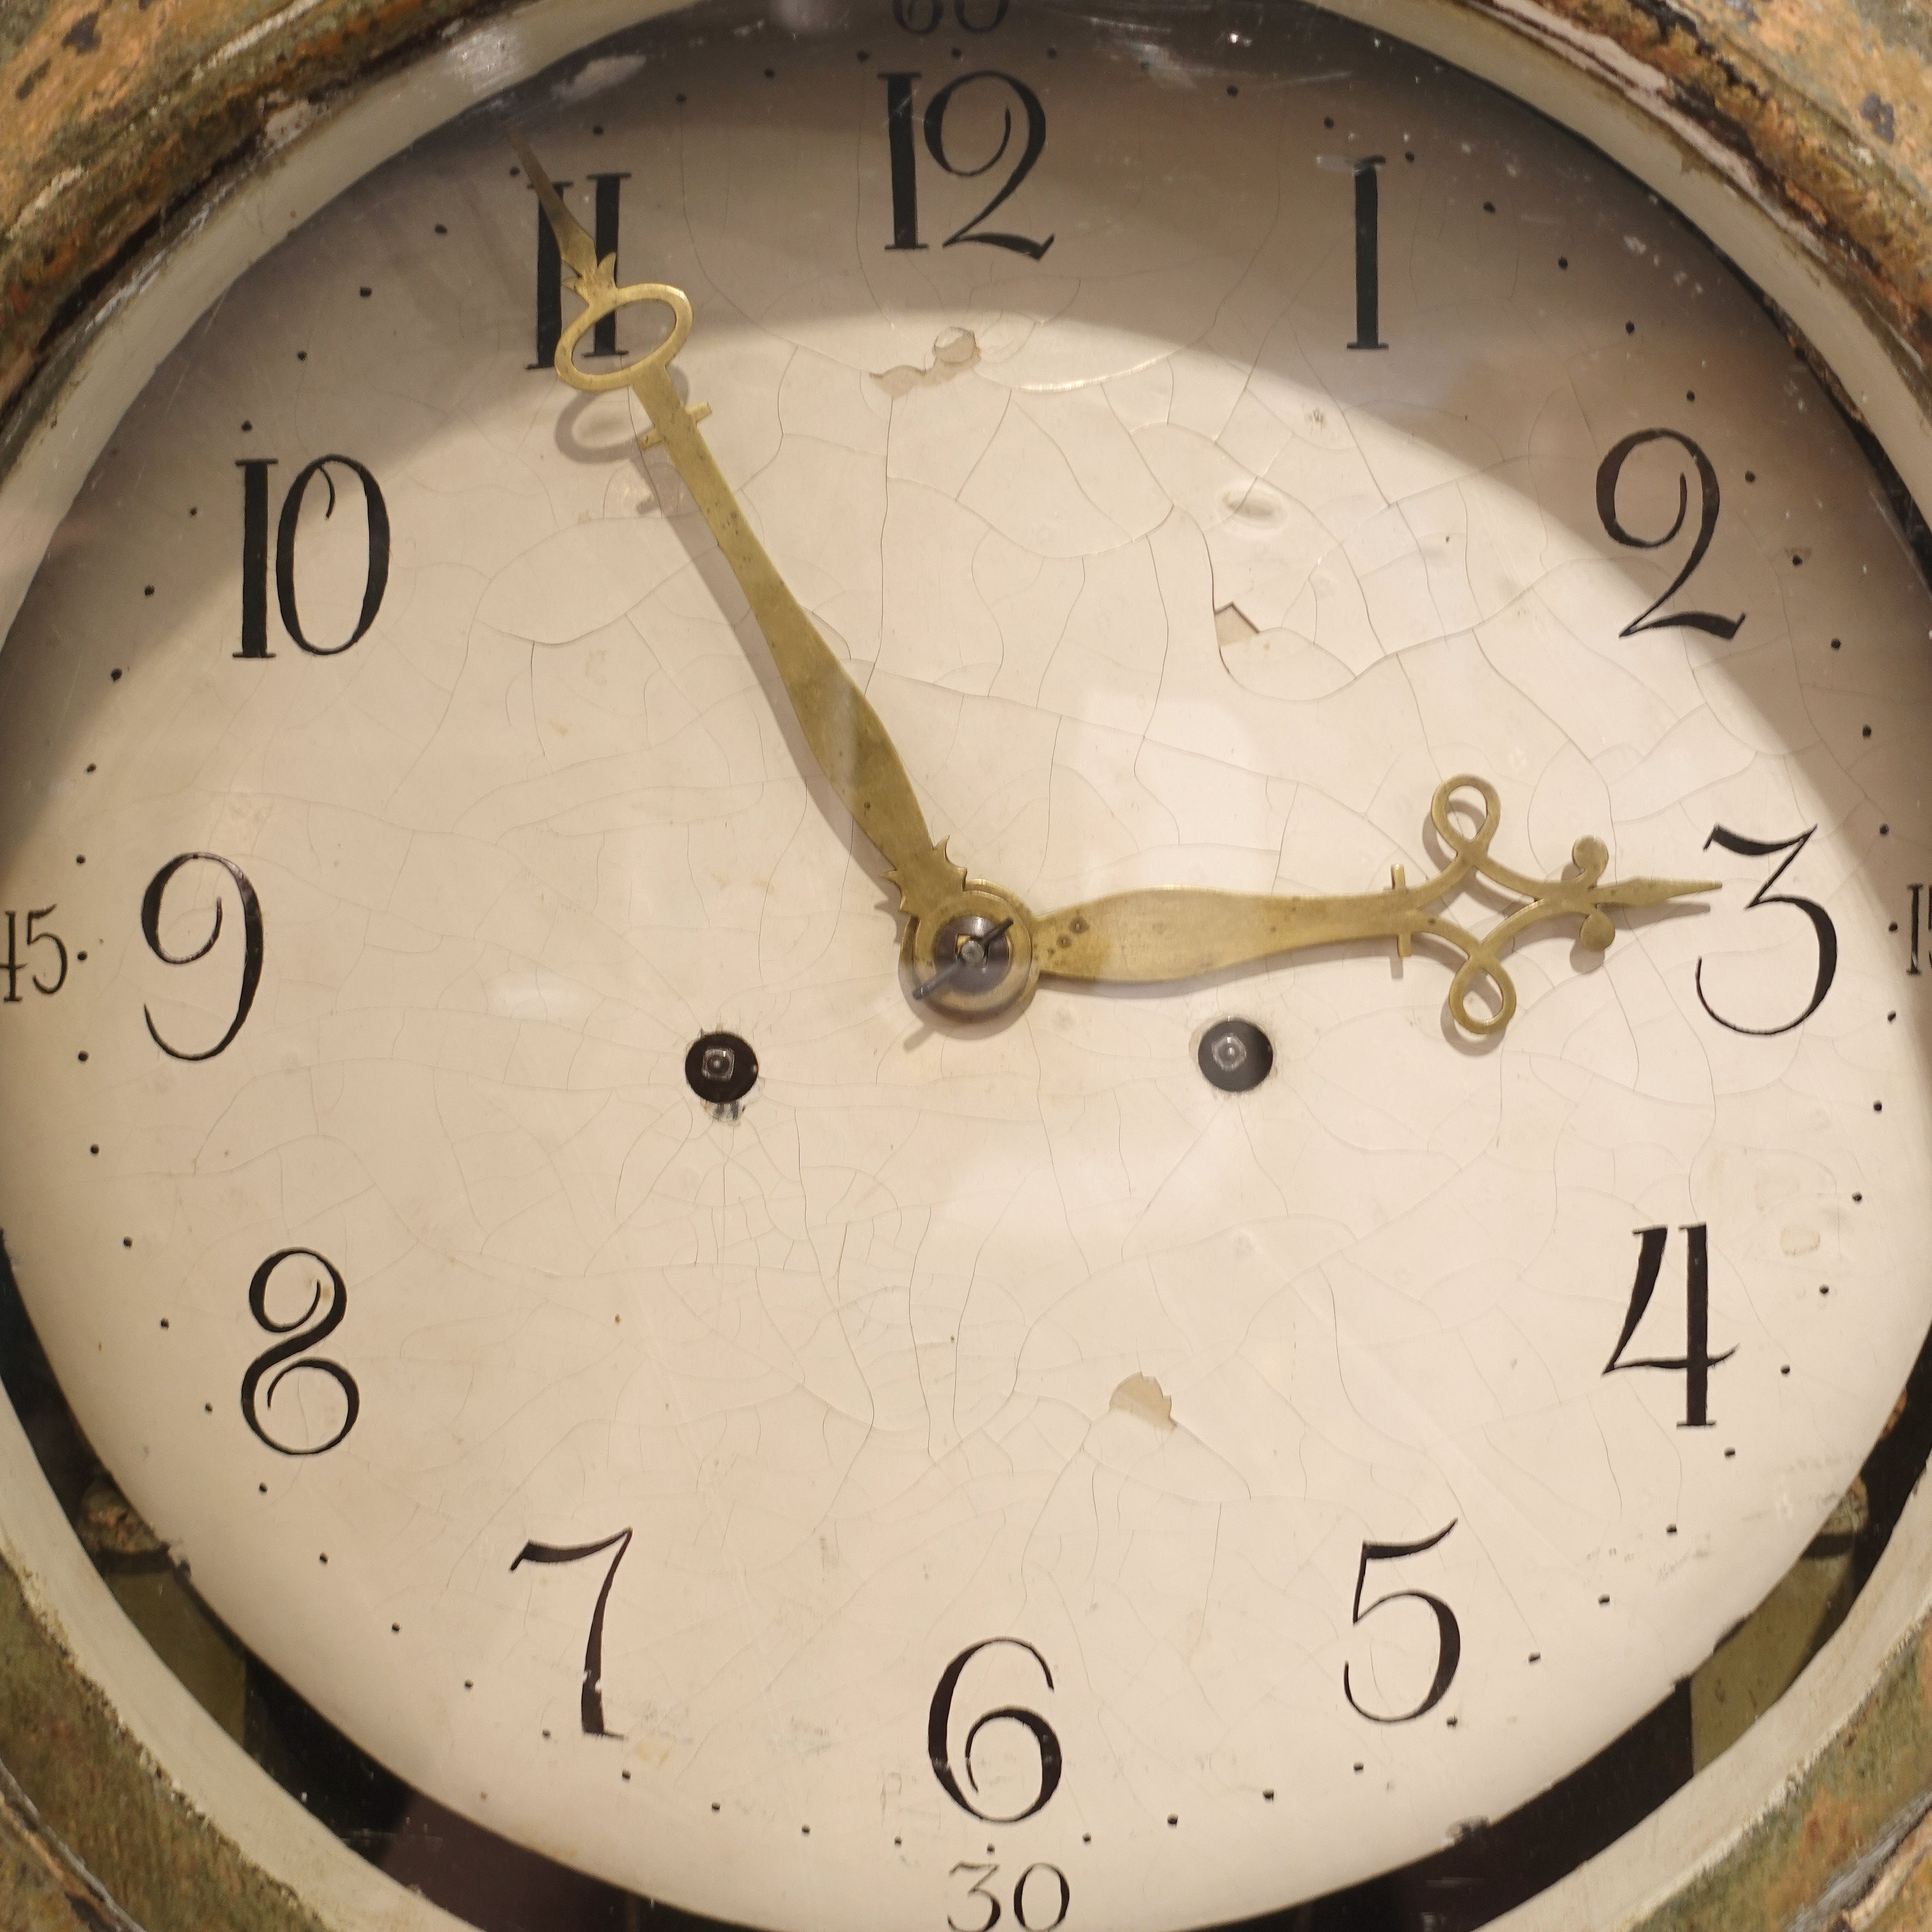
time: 2:54
